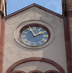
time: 1:56
